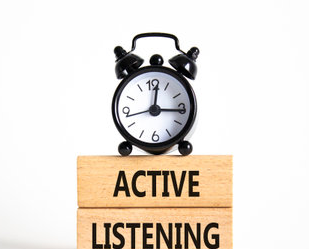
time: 12:15
